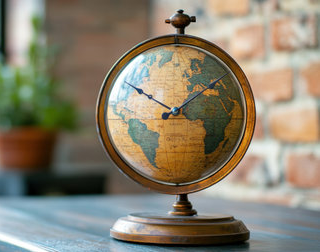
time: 1:50
